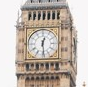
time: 12:28
